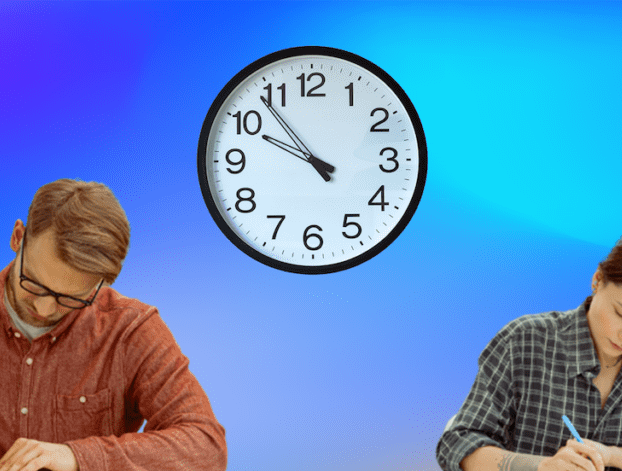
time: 9:53
